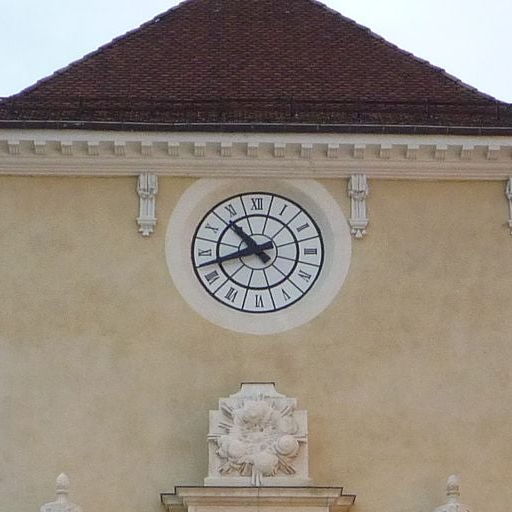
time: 10:42
